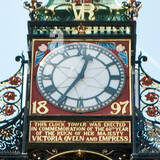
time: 12:35
